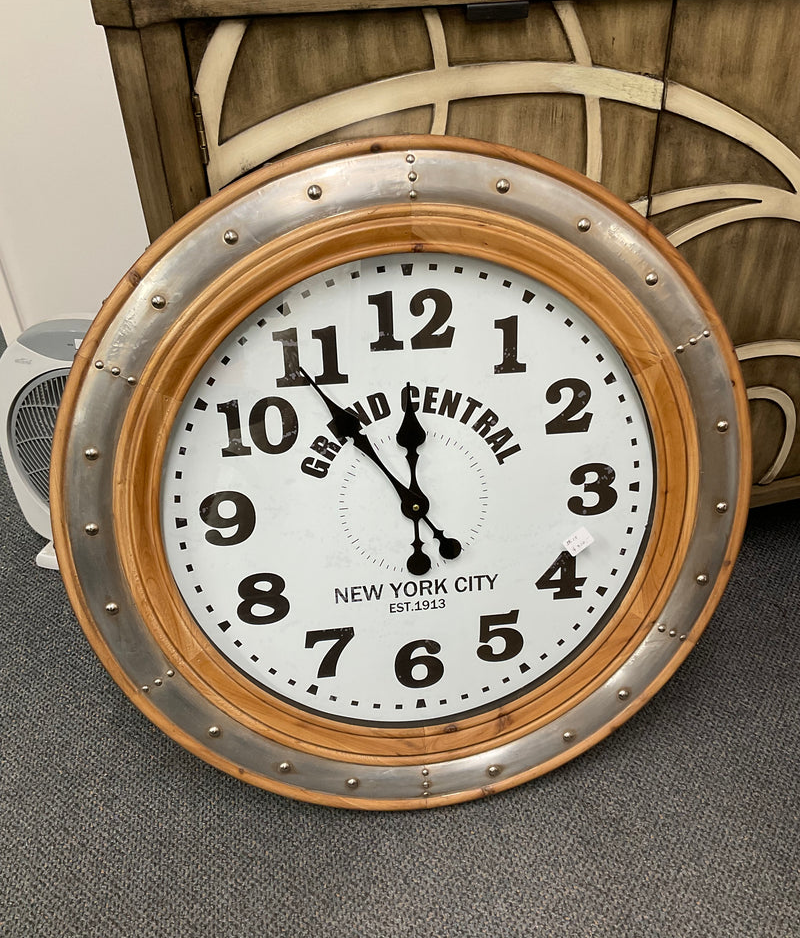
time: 11:53
